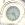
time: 4:44
